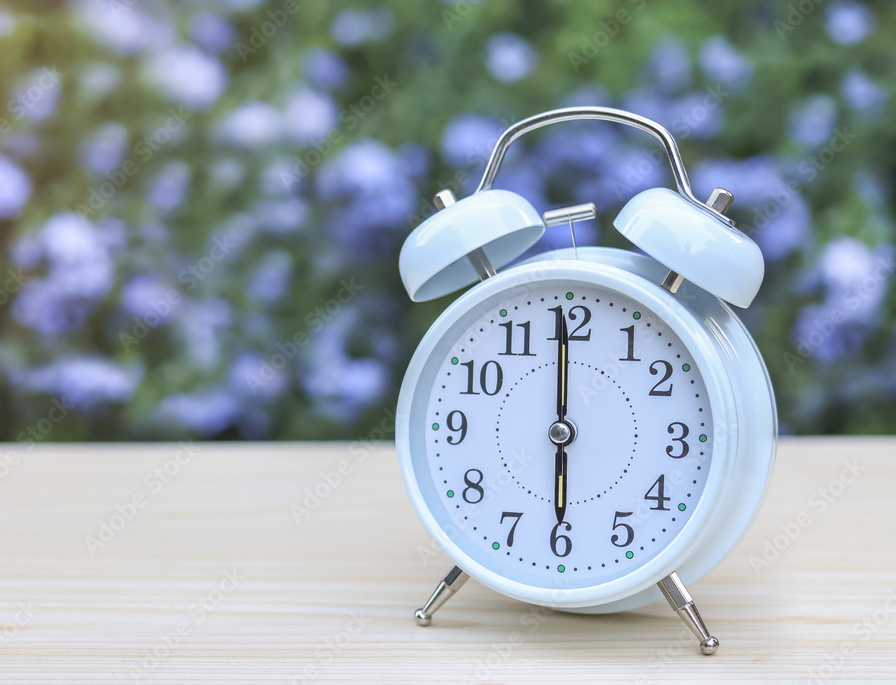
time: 5:59
